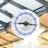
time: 9:16
